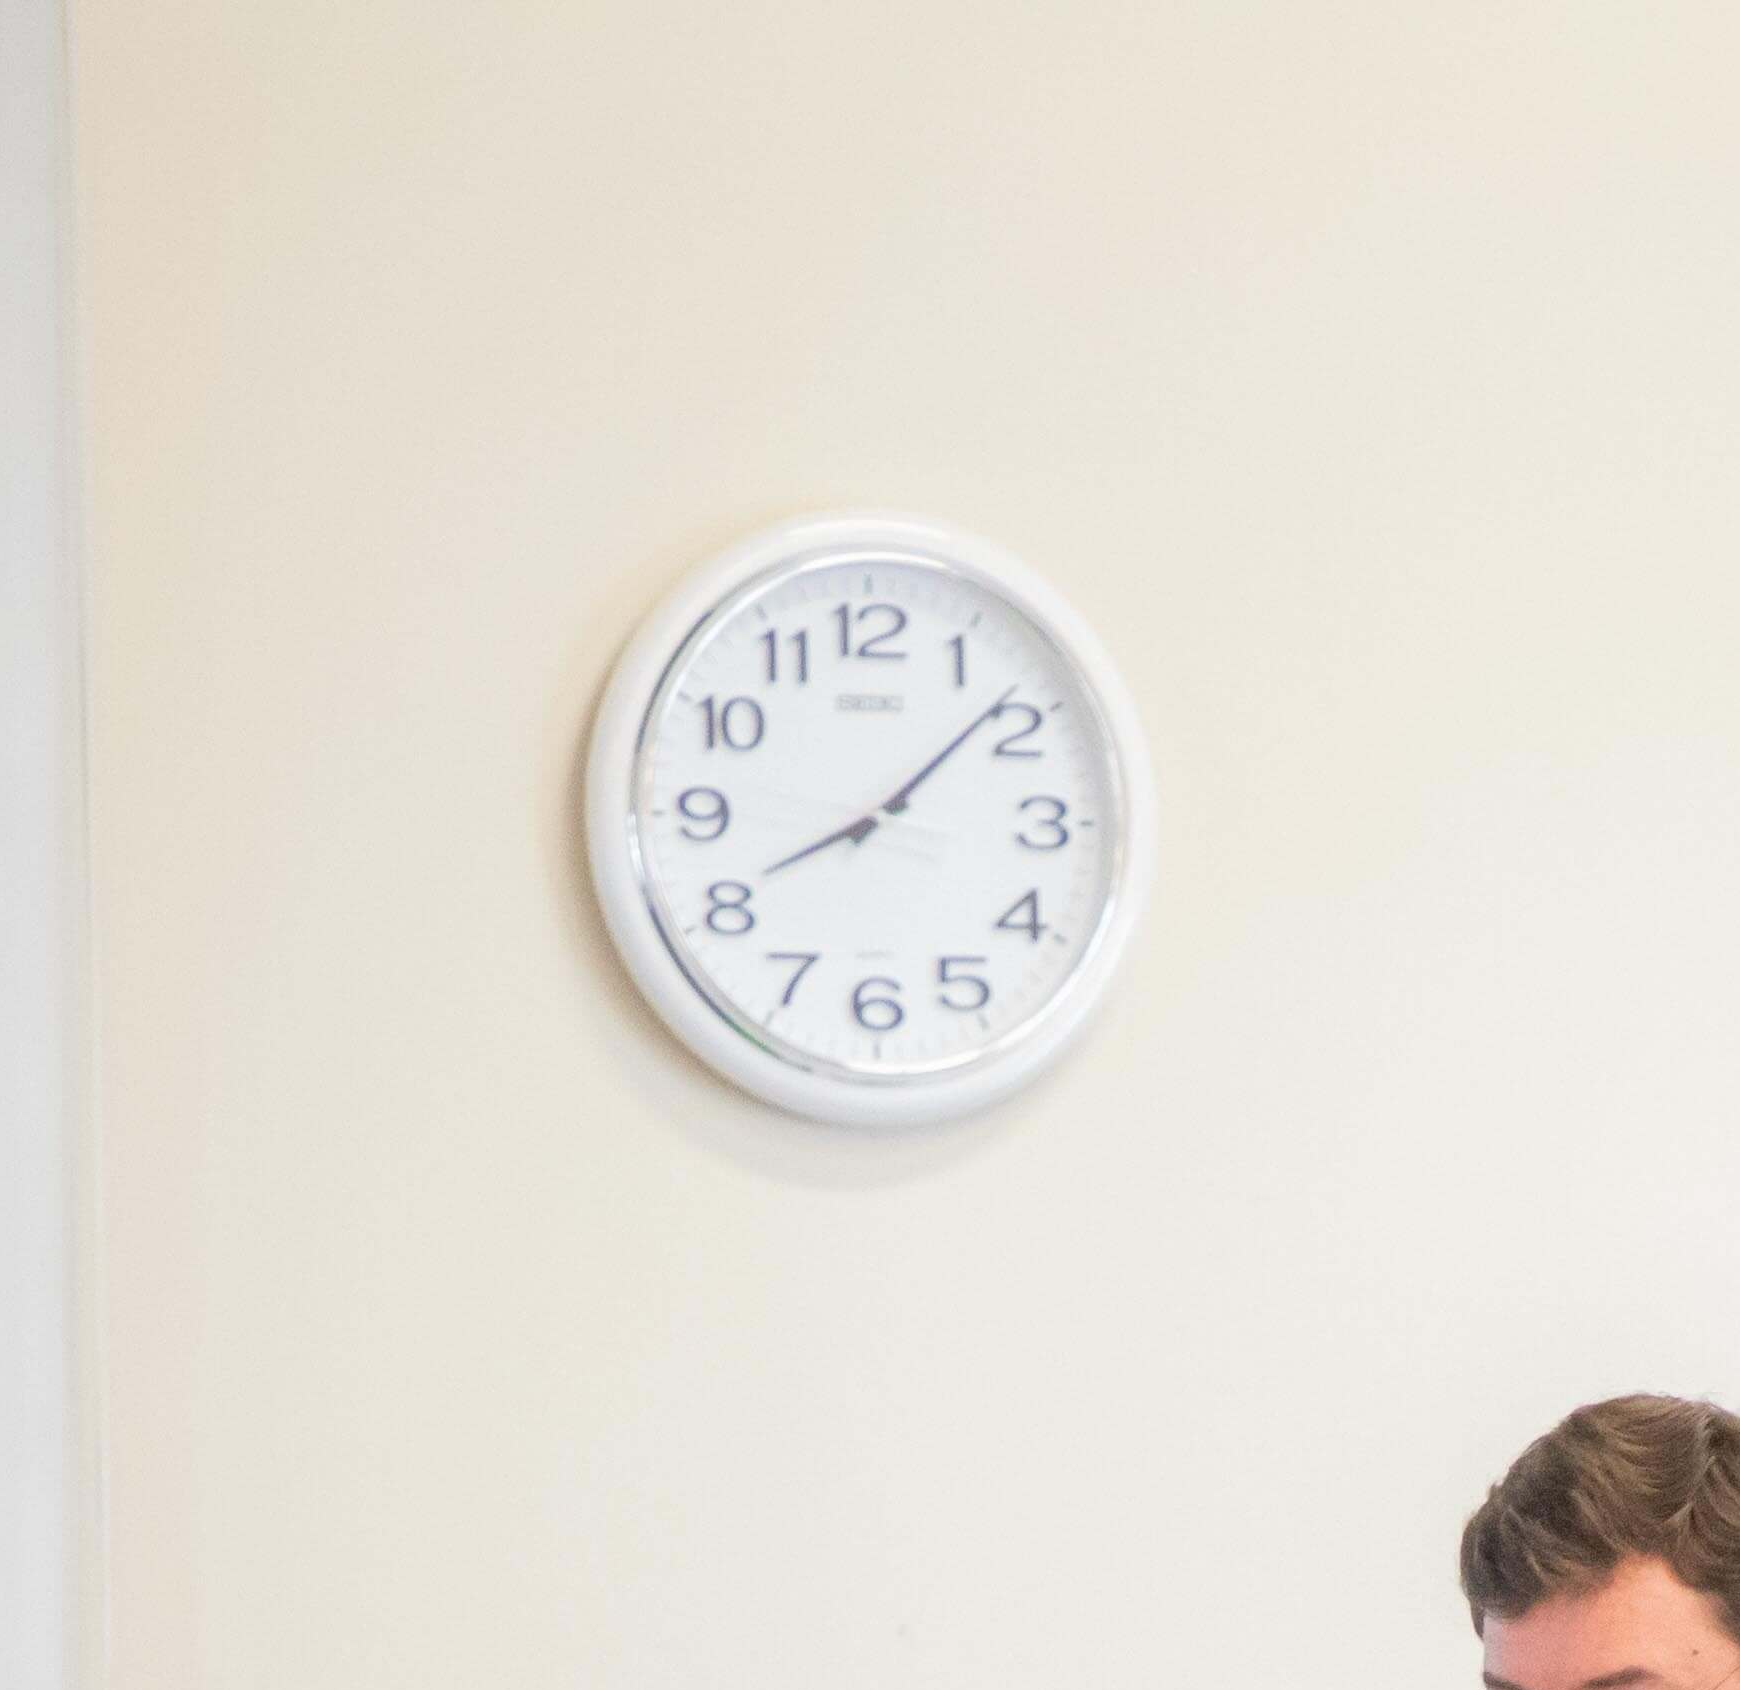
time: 8:08
